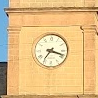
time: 7:18
